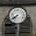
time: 7:40
